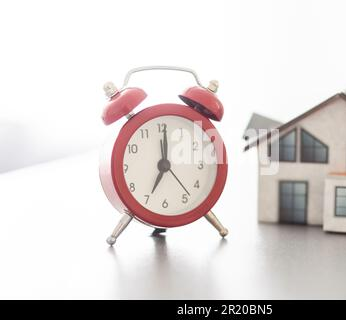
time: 7:00
